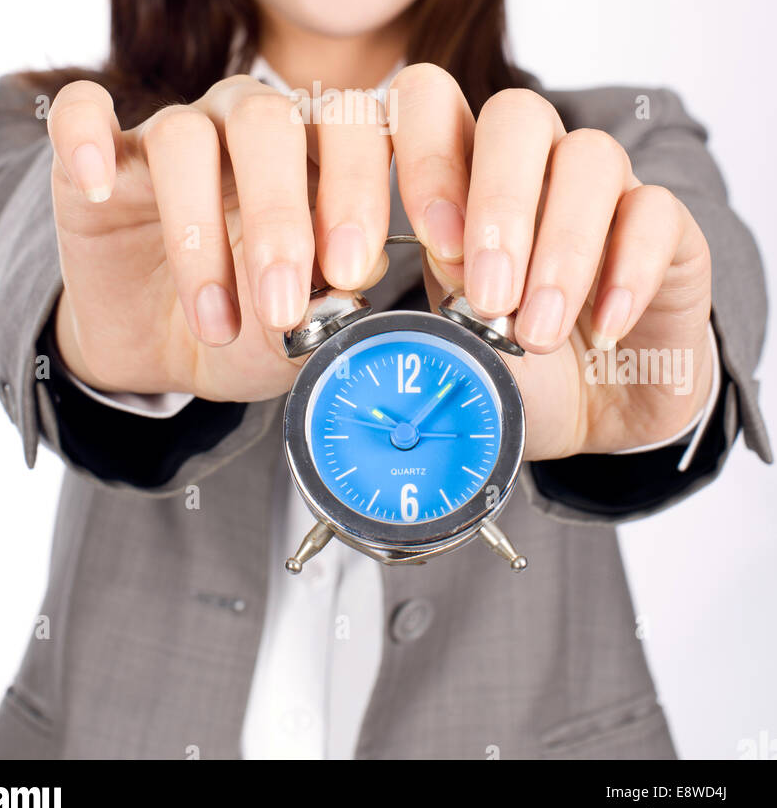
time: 10:07
